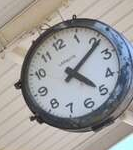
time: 5:11
